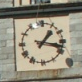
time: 1:17
